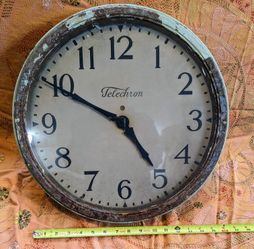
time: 4:49
